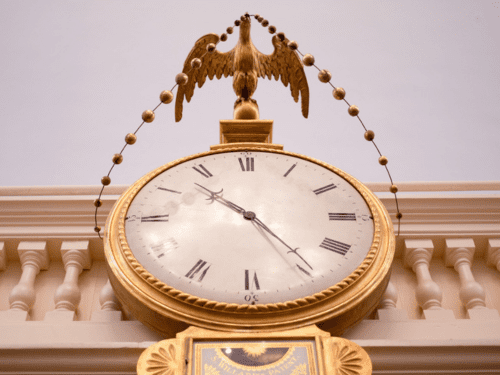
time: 10:24
